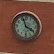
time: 3:57
